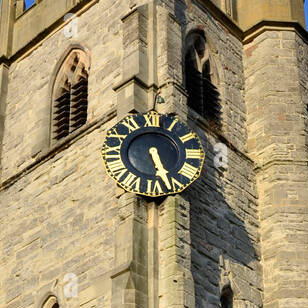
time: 5:26
